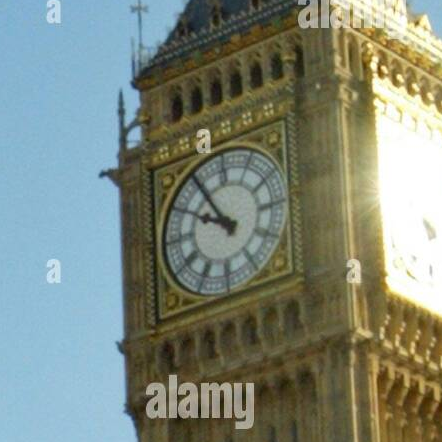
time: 9:54
